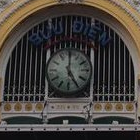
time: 5:00
